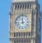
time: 11:42
